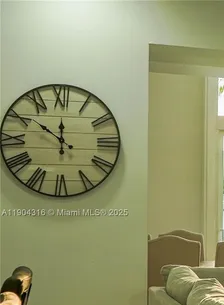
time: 11:50
